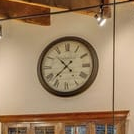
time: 10:37
